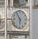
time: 5:54
